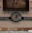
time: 12:07
